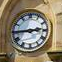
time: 2:45
